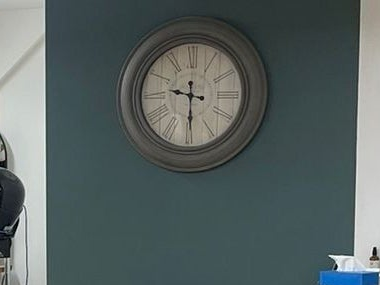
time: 9:29
